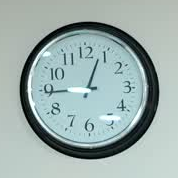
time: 9:03
